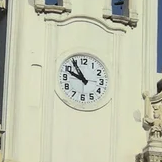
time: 9:54
